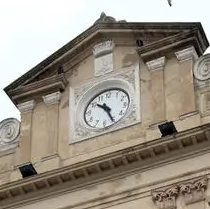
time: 10:26
